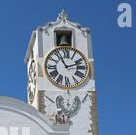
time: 11:11
